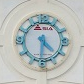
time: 4:30
